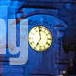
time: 6:58
